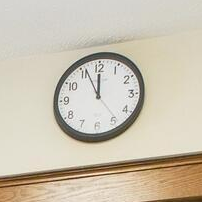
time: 11:55
